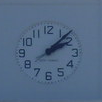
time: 2:07
